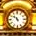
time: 10:50
